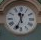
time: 11:33
